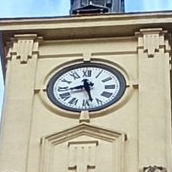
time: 8:27
